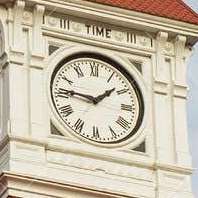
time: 1:46
